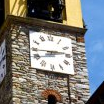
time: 2:44
